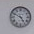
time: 4:49
